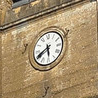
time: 5:40
